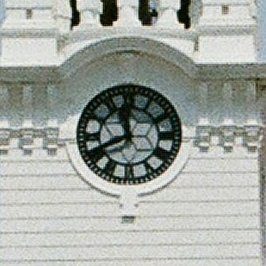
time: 11:40
